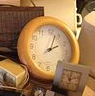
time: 2:03
